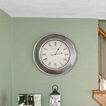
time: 3:04
